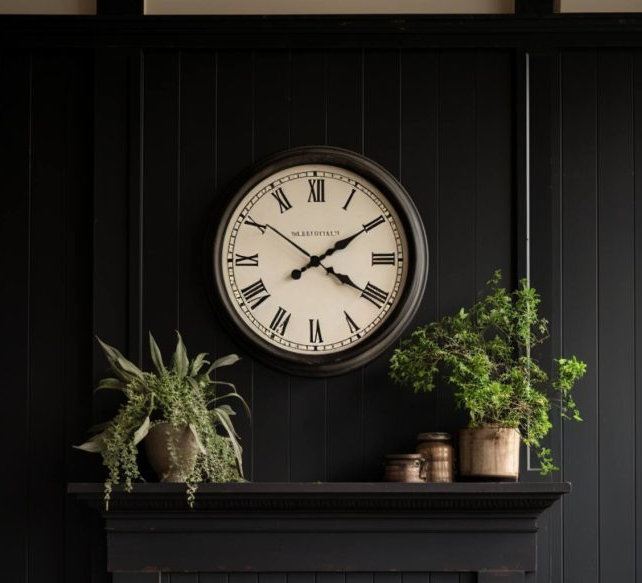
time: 4:09
